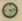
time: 4:12
